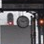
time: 9:12
